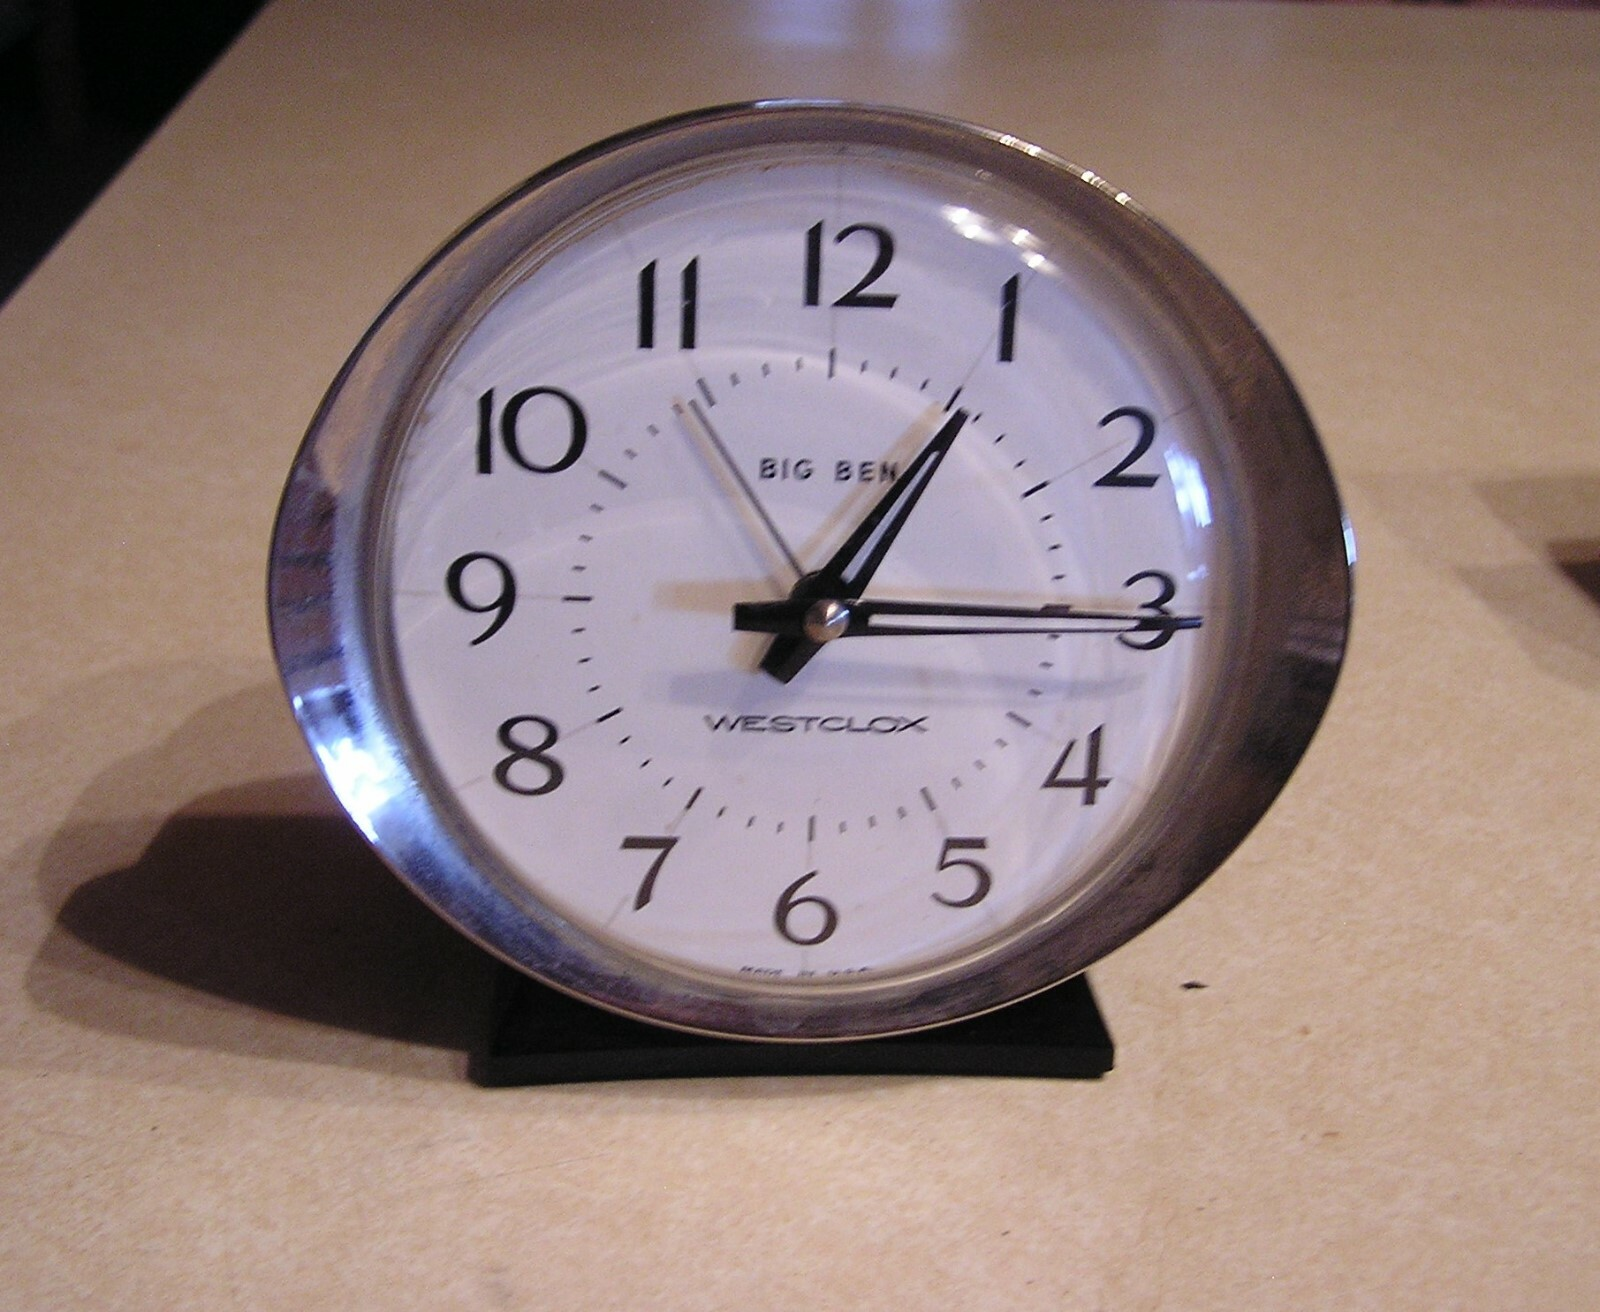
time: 1:14
